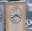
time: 3:40
